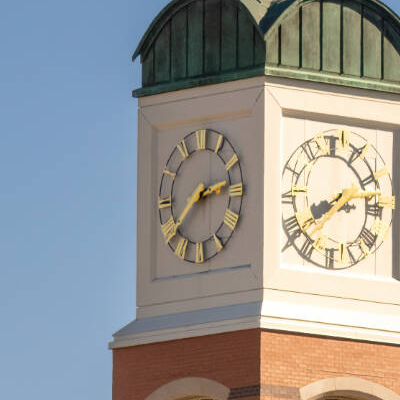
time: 2:39
